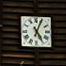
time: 5:04
